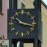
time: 10:17
